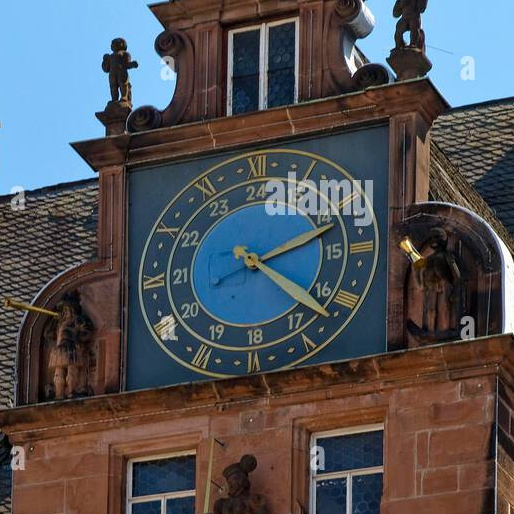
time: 2:21
